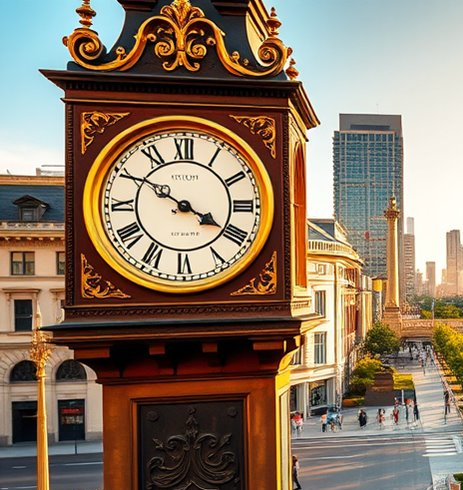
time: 3:50
